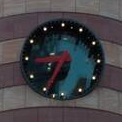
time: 8:34
